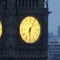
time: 6:05
